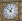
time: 12:52
